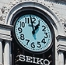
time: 12:58
